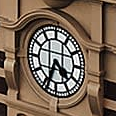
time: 4:34
